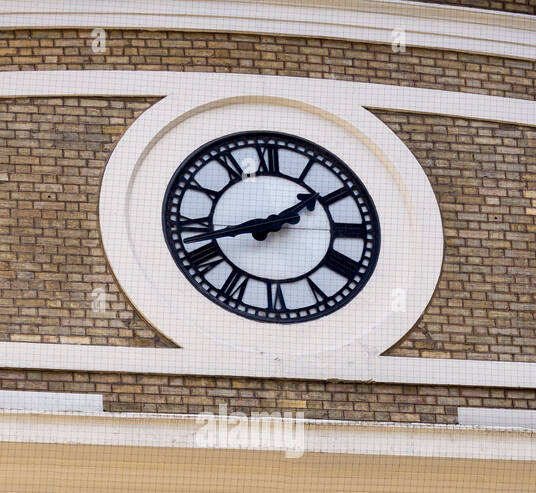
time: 1:41
